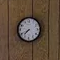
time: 7:41
